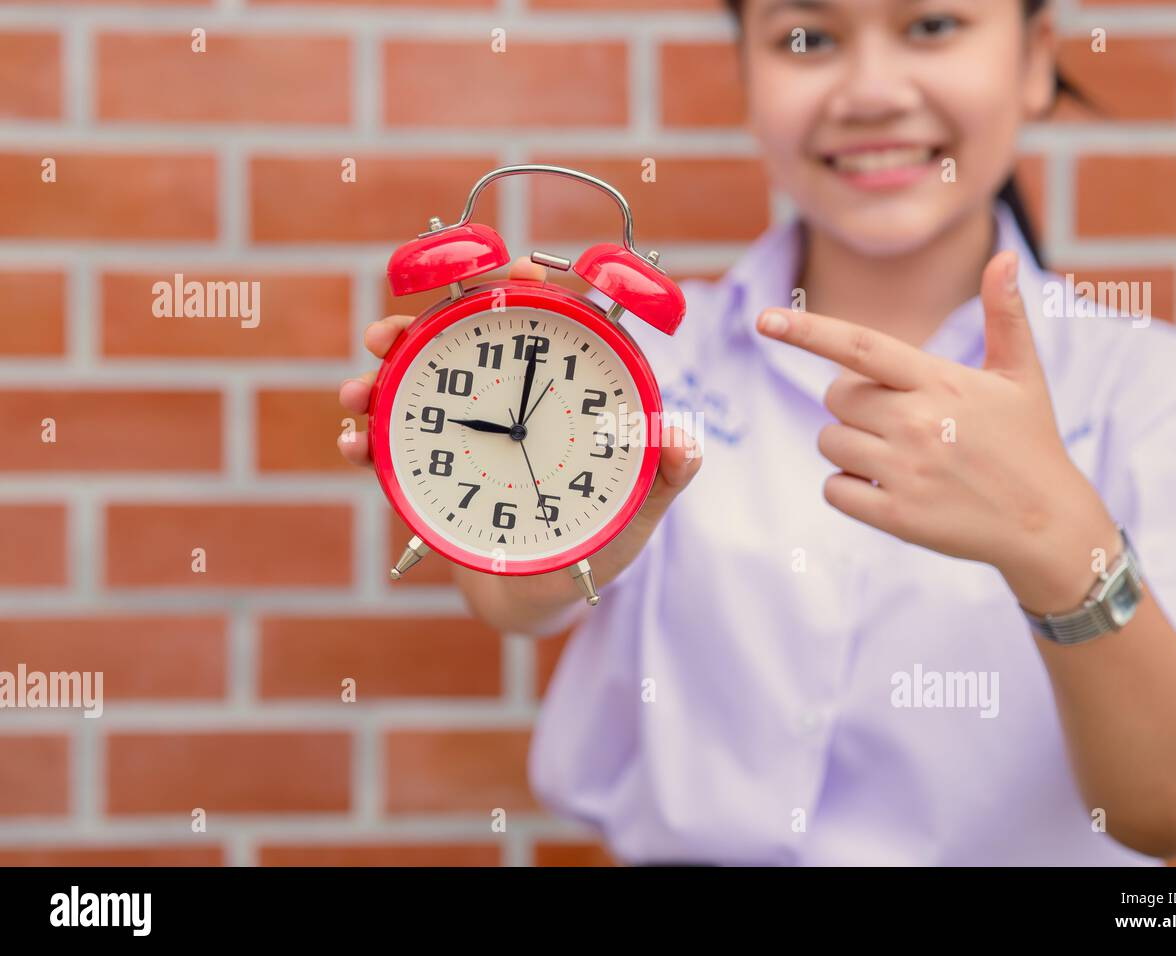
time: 9:00
